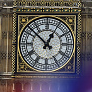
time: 12:52
